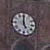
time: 4:59
